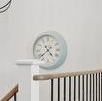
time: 4:38
